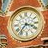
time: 3:36
